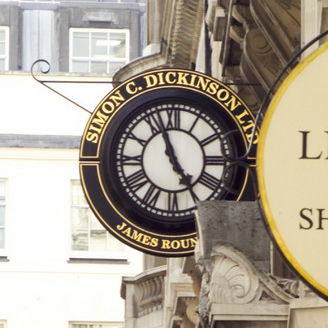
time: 4:57
